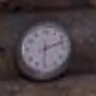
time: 2:30
